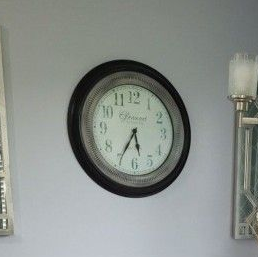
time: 5:34
